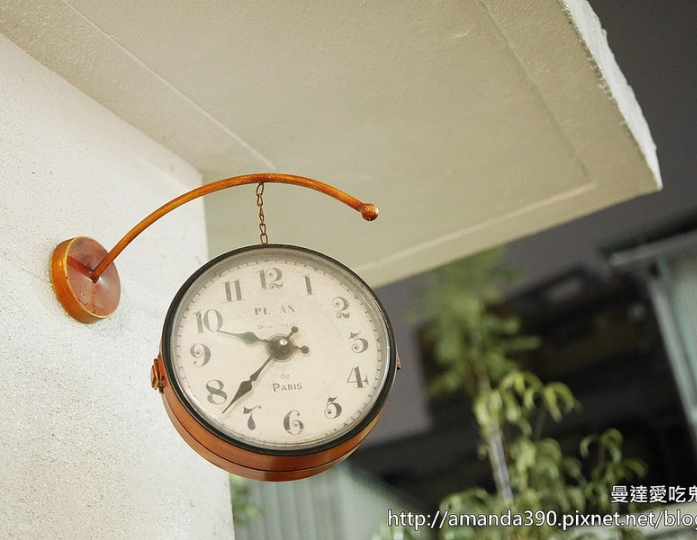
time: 9:38
